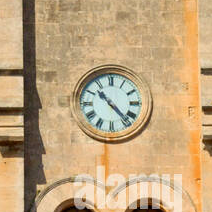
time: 10:22
